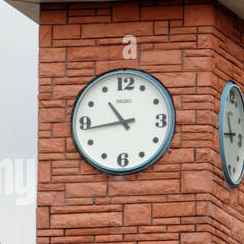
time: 10:43
